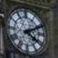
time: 4:10
